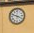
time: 3:48
